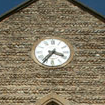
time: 3:36
